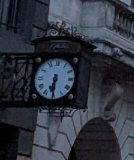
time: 6:30
